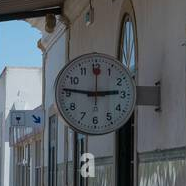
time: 2:46
